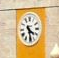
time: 4:28
